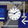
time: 1:46
